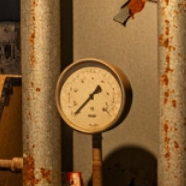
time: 1:37
